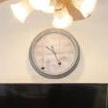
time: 10:26
